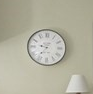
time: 9:36
